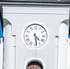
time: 4:28
